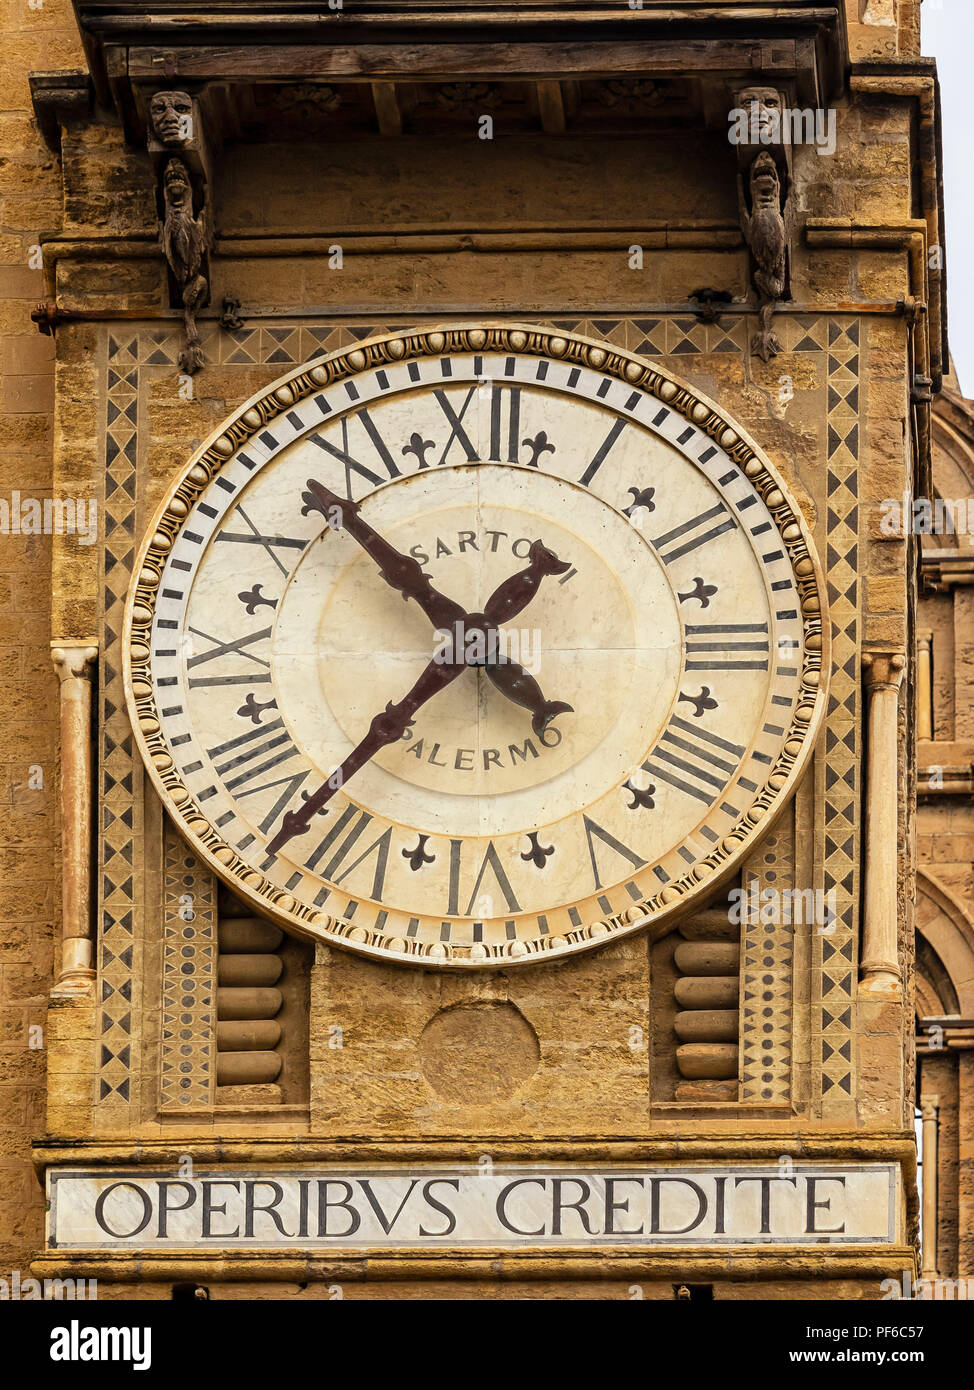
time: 10:36
